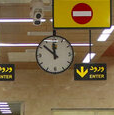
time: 11:52
